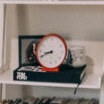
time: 8:41
